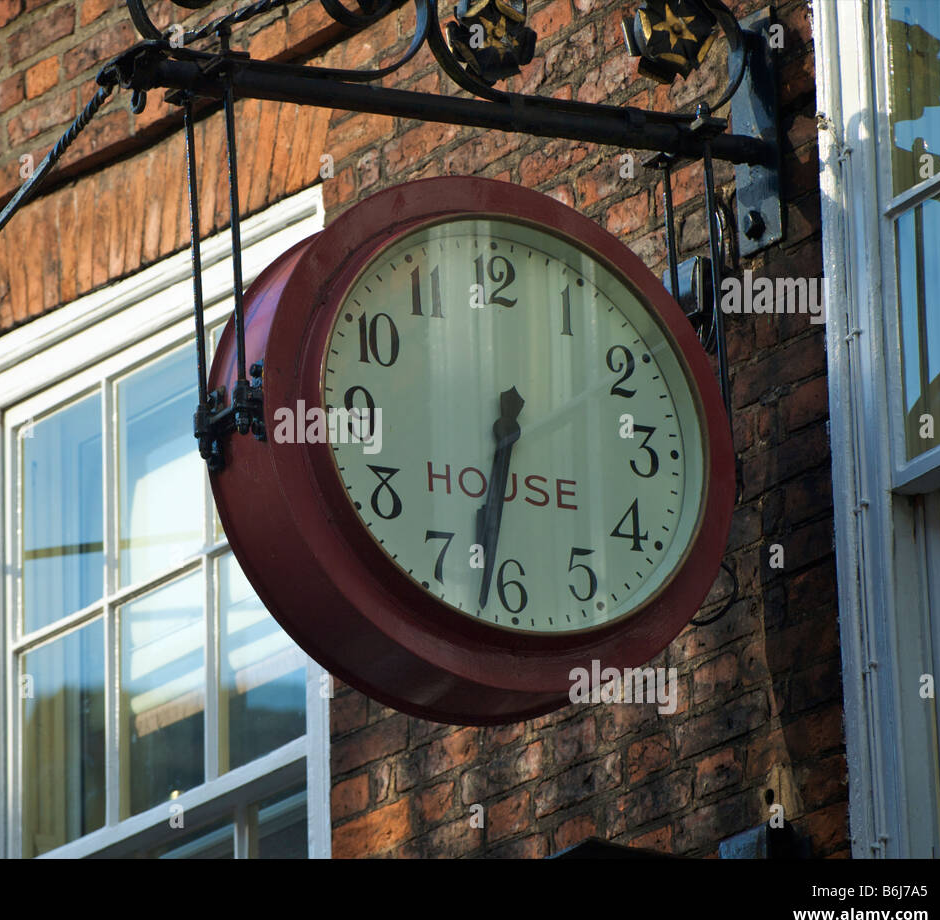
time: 6:32
